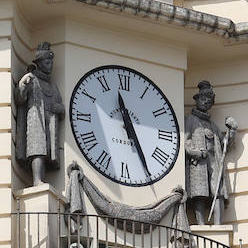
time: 11:25
